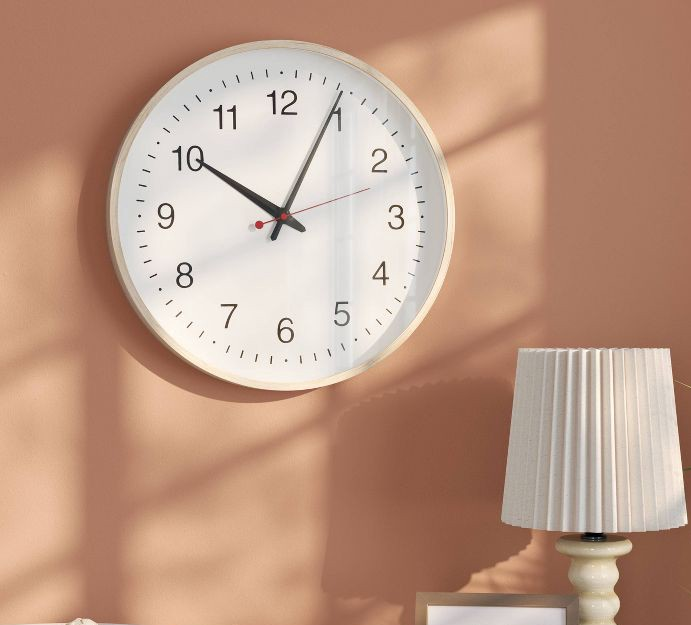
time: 10:04
